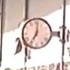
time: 7:01
